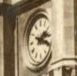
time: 2:18
